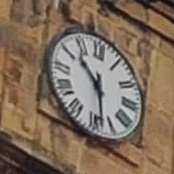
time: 10:28
